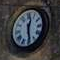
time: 12:28
